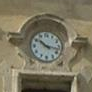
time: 10:17
